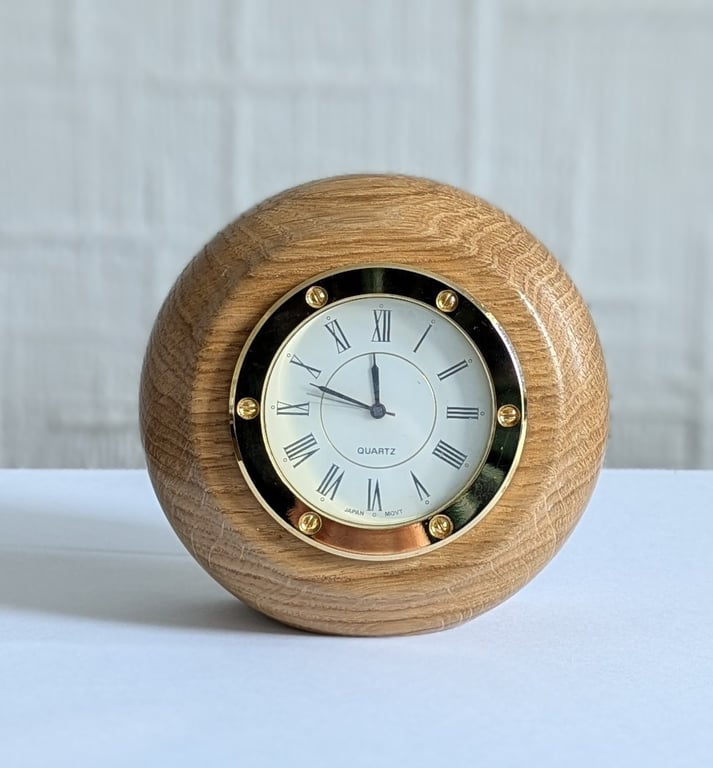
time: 11:48
